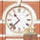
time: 10:37
